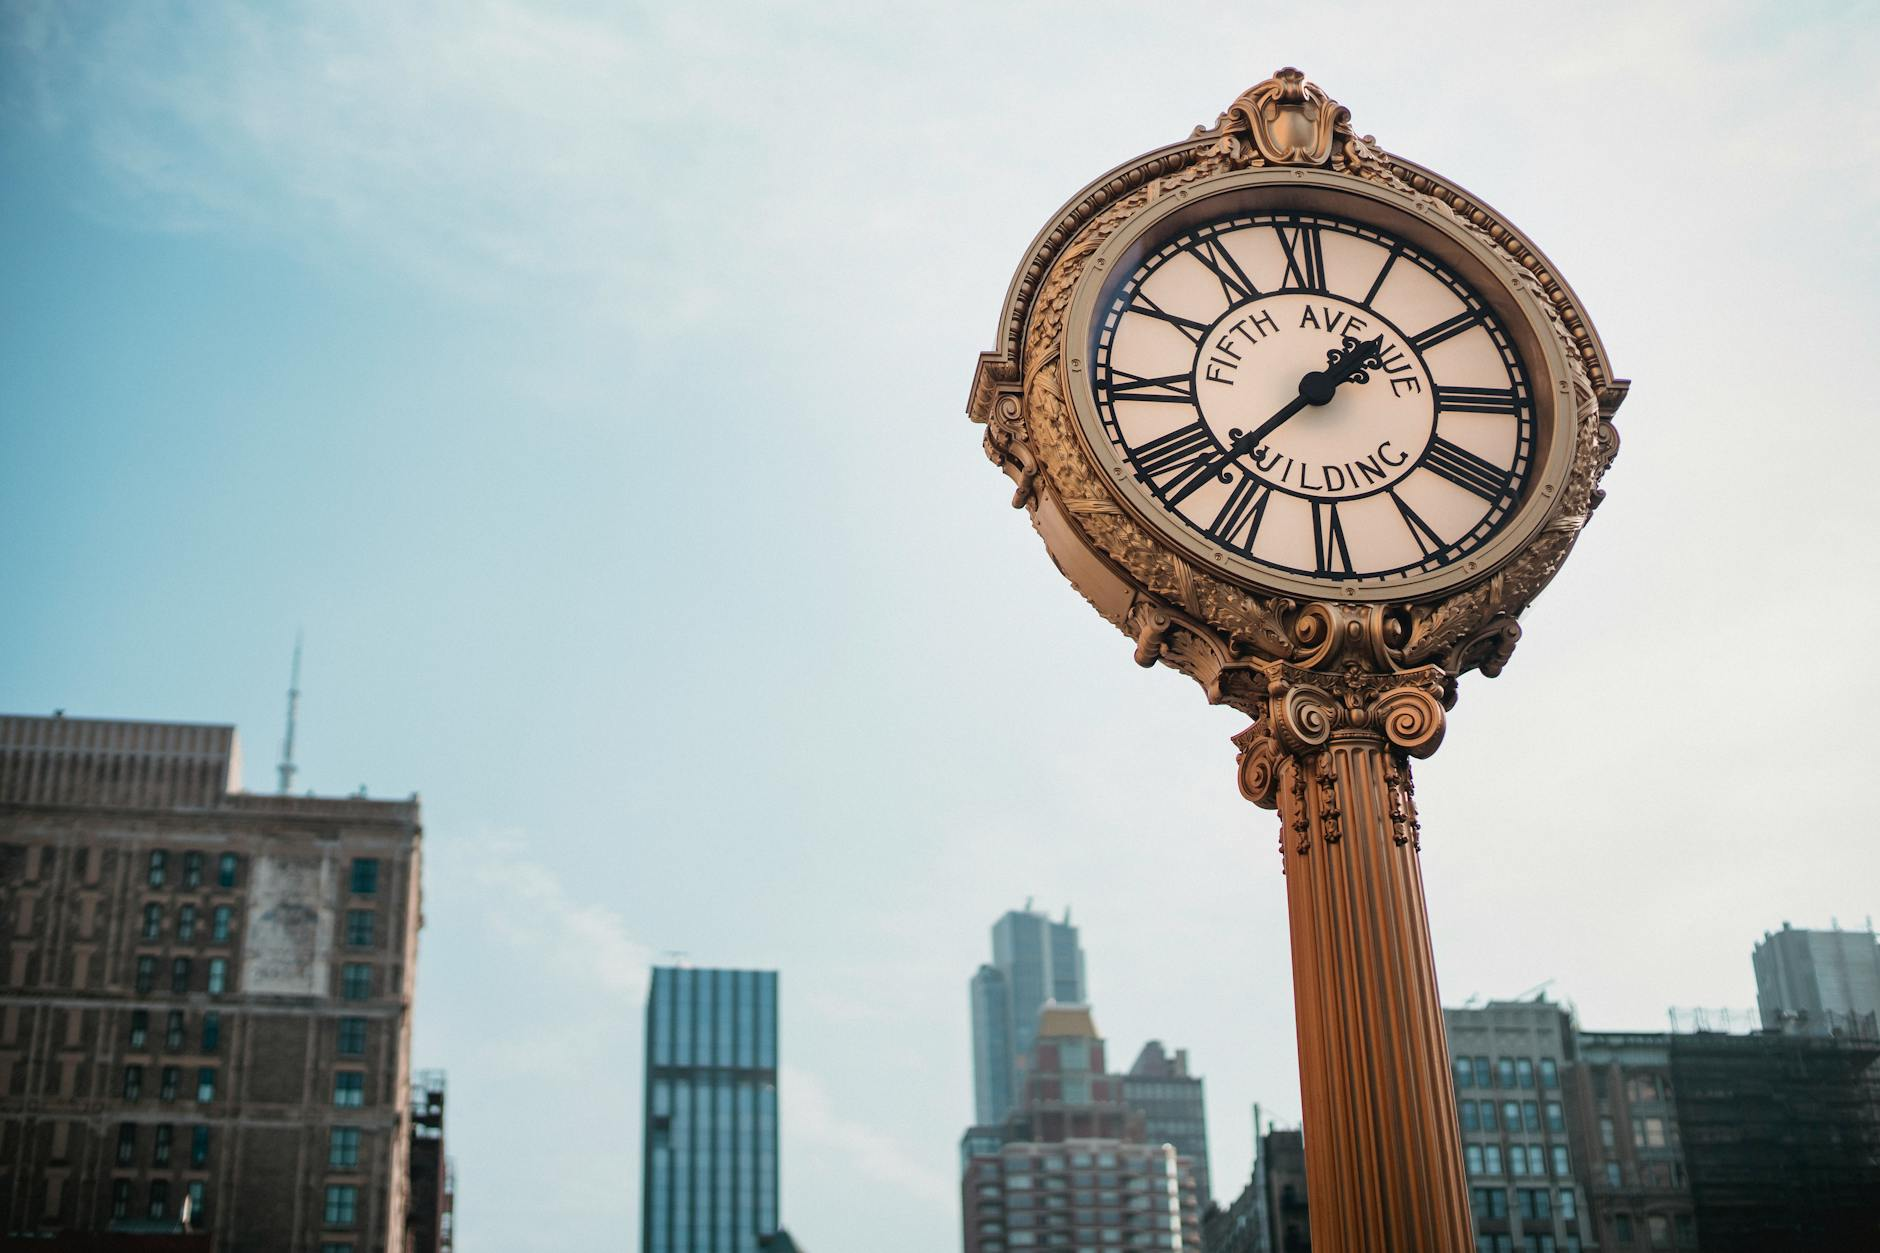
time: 1:37
